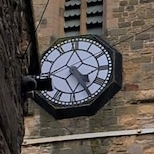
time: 4:24
